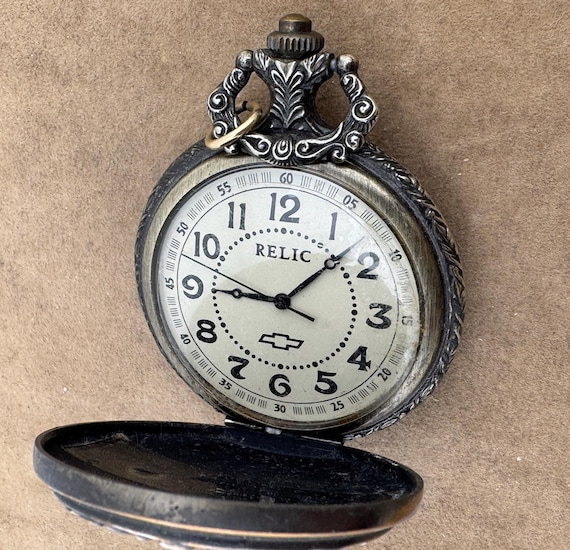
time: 9:07
